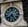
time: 7:25
